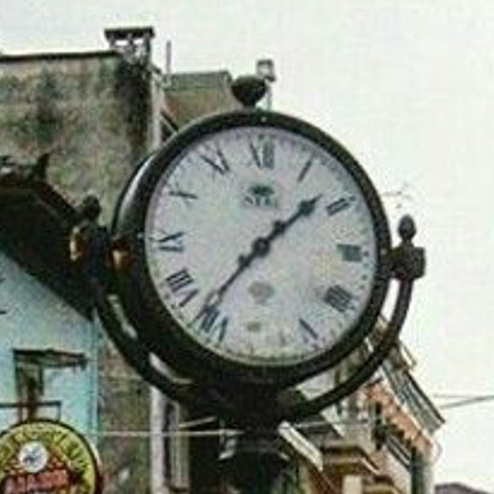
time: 1:36
